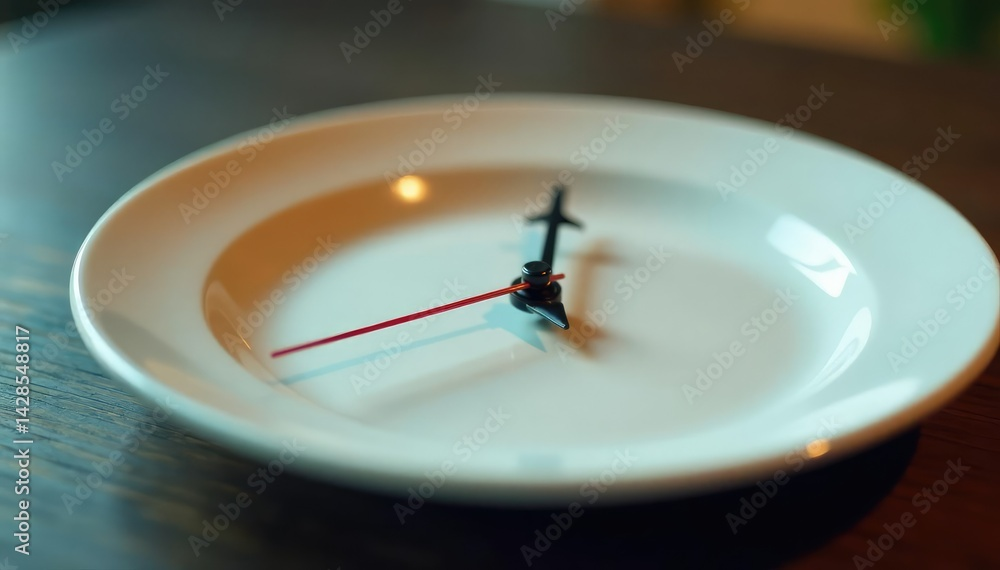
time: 5:00
